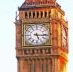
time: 5:15
